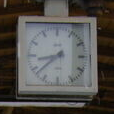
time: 8:38
